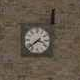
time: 3:38
